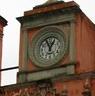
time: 12:56
